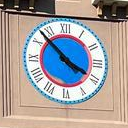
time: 3:52
